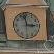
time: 2:58
